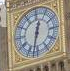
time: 12:32
